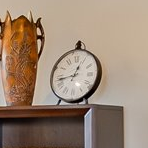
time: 12:43
